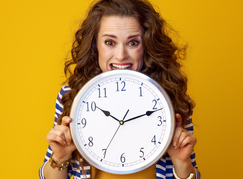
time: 10:11
